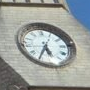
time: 5:35
